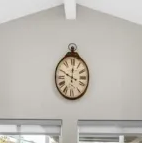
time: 11:49
